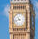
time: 10:42
